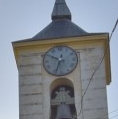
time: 9:33
